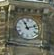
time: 11:12
